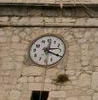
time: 12:19
